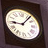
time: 9:07
